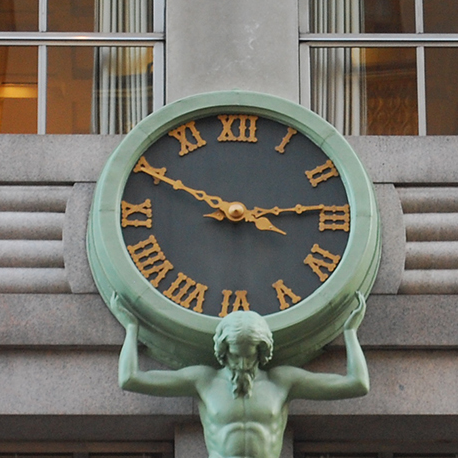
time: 2:49
